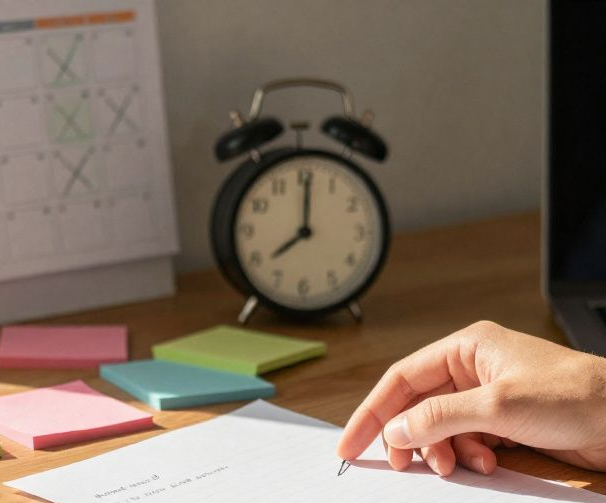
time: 8:00
